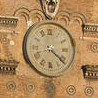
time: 4:21
